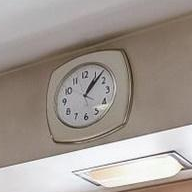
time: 1:07
